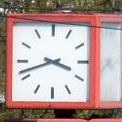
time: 3:41
